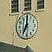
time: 7:00
